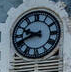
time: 9:41
